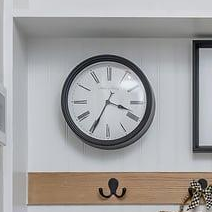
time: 3:34
